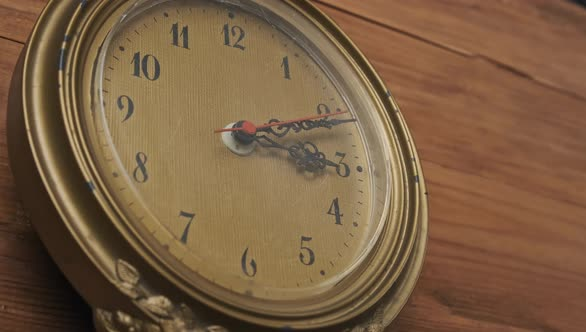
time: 3:11
